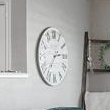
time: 2:36
